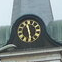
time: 11:28
